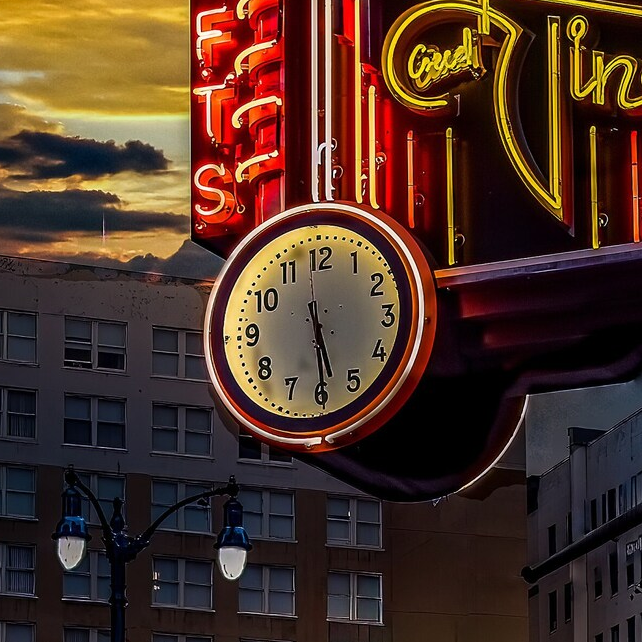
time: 5:29
